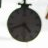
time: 4:41
